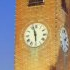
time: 5:57
